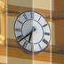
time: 6:38
